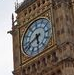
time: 5:41
